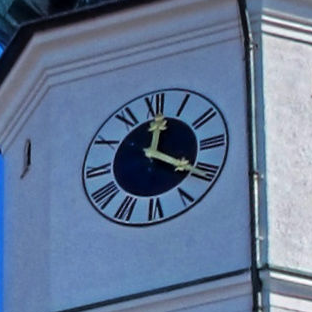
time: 12:20
